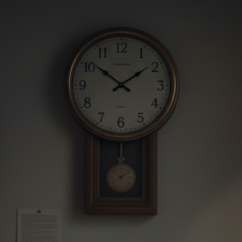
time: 1:51
